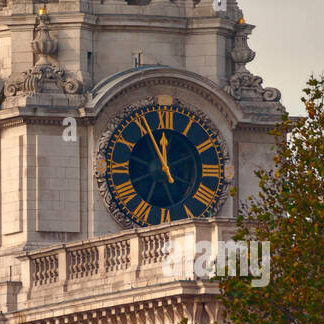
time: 11:55
